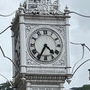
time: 4:34
